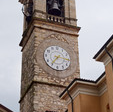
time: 7:15
